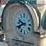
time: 9:41
